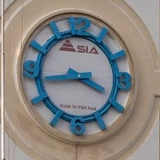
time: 3:43
